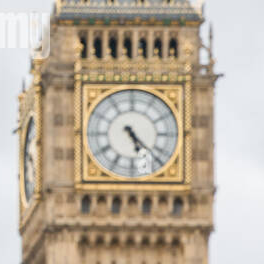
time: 5:22
